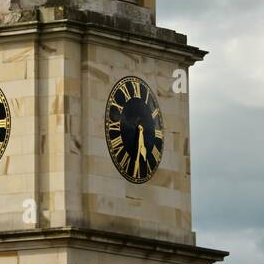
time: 5:31
